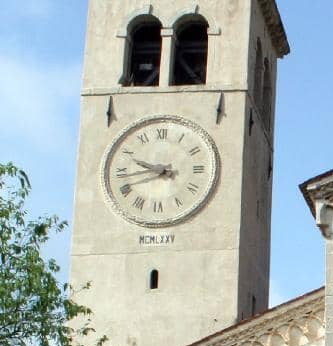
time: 9:43
